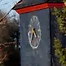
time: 4:35
